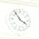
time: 3:54
